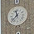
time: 11:37
